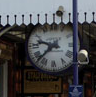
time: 9:38
